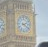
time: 2:21
